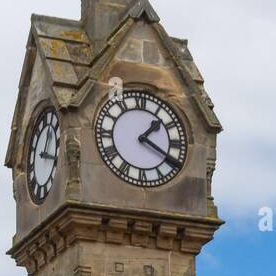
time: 1:19
